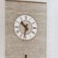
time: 10:32
